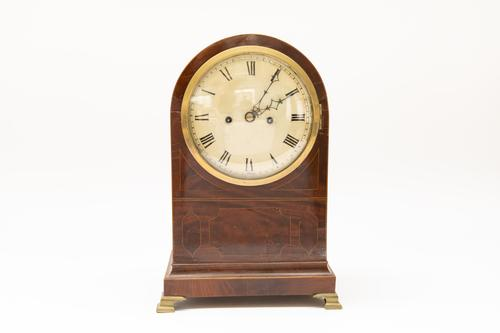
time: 2:04
